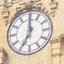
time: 7:00
